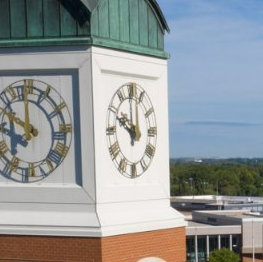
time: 10:00
